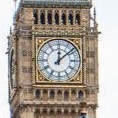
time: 12:08
